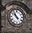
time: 10:52
